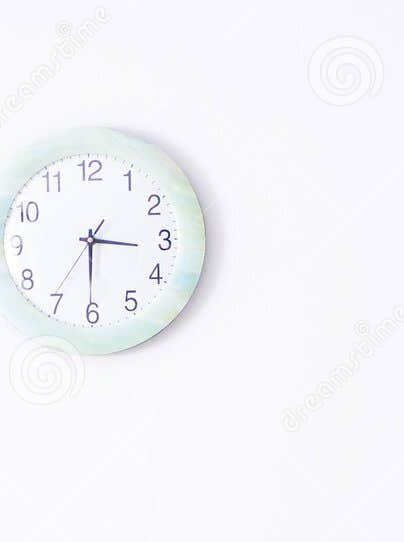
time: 3:30
